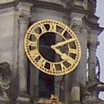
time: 4:09
